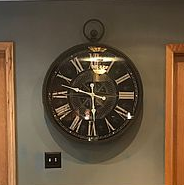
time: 5:48
